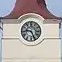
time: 9:26
